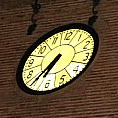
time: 6:36
